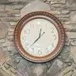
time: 12:37
